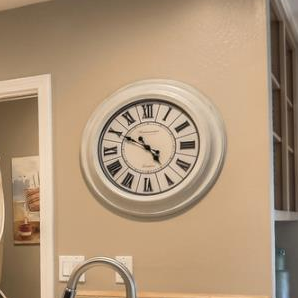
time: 4:49
